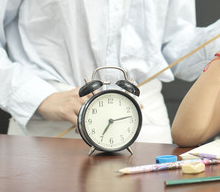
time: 7:13
